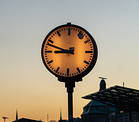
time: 8:48
